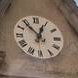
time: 12:53
